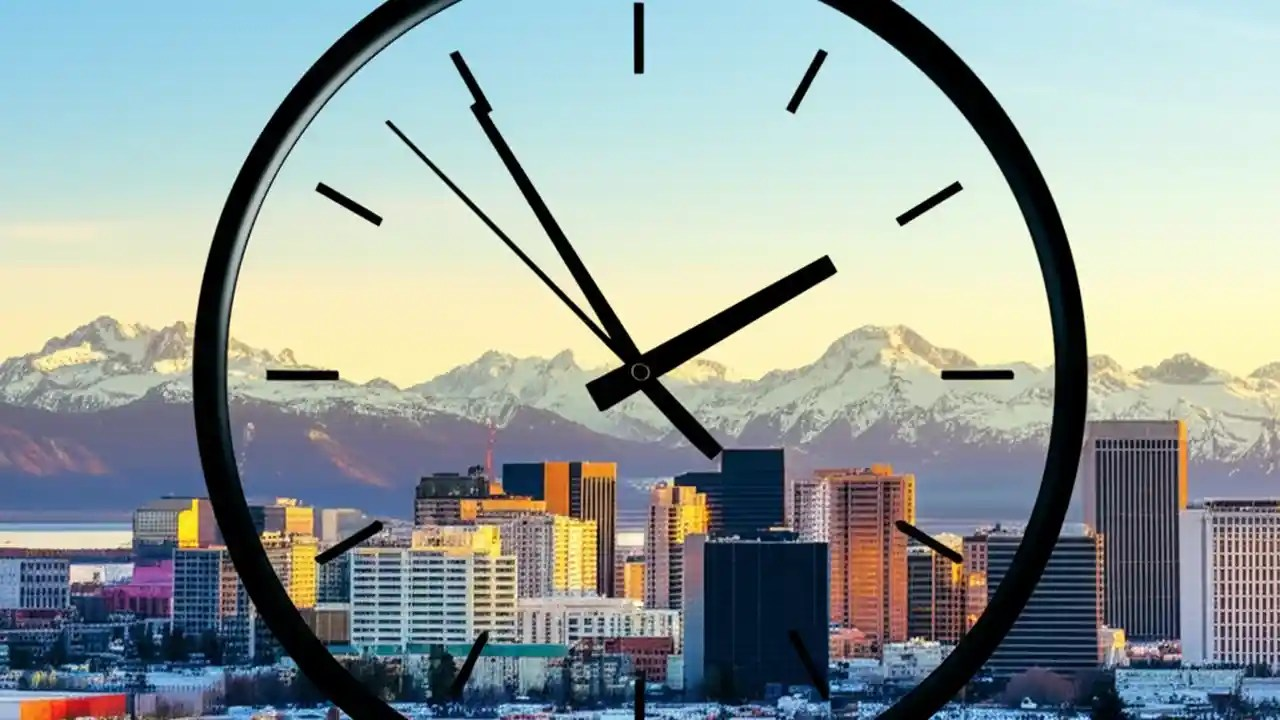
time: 1:54
